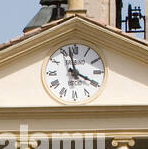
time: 3:57
